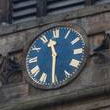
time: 11:30
